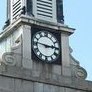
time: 2:46
